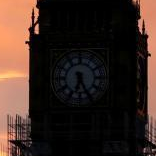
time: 6:25
